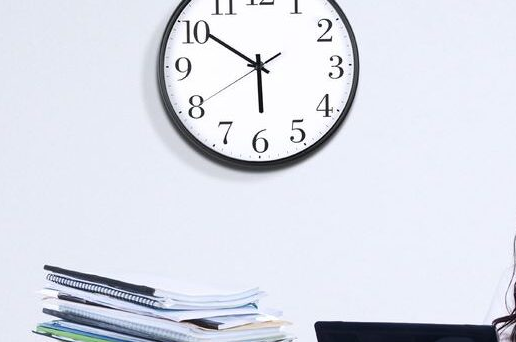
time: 5:50
